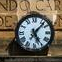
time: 5:06
